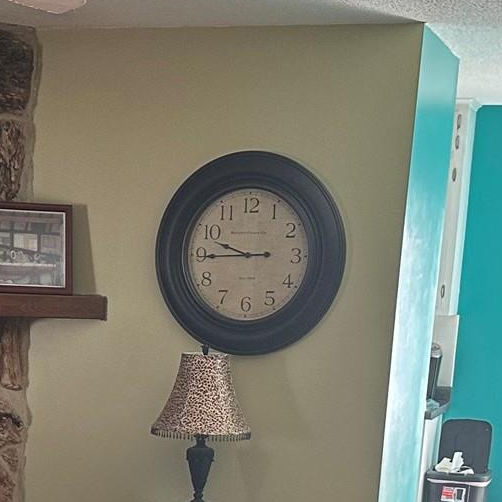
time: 9:44
